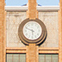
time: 5:49
